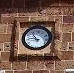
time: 10:46
